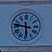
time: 5:46
